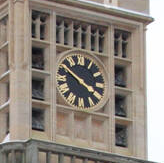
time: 3:50
